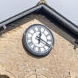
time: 12:19
